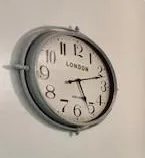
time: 5:11
